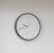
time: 9:42
